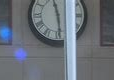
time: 11:28
